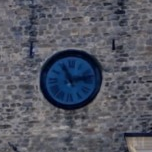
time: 11:12
